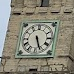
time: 5:26
